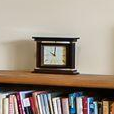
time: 10:00
